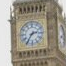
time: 2:35
